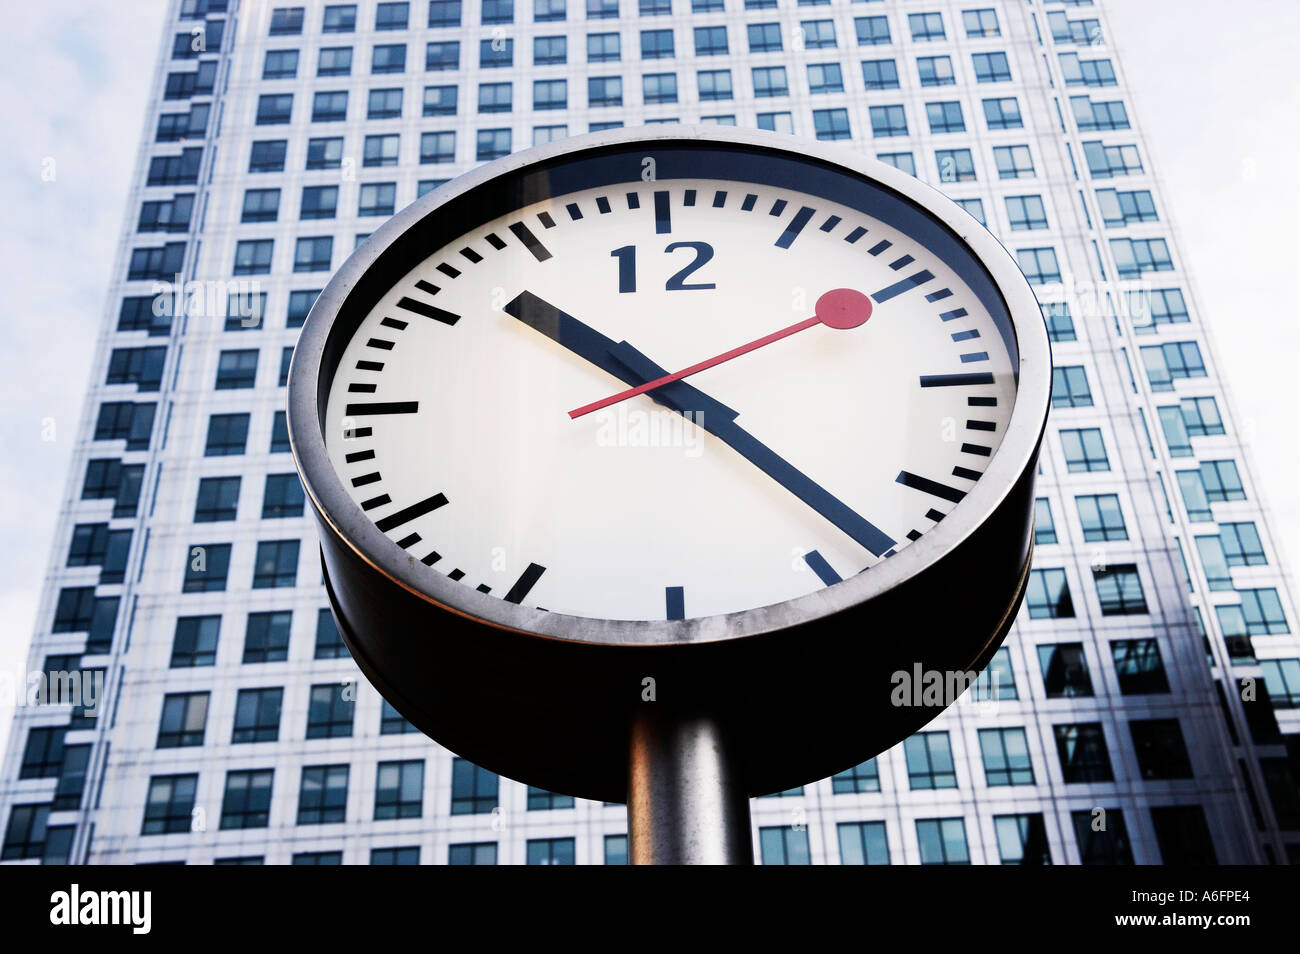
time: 10:22
